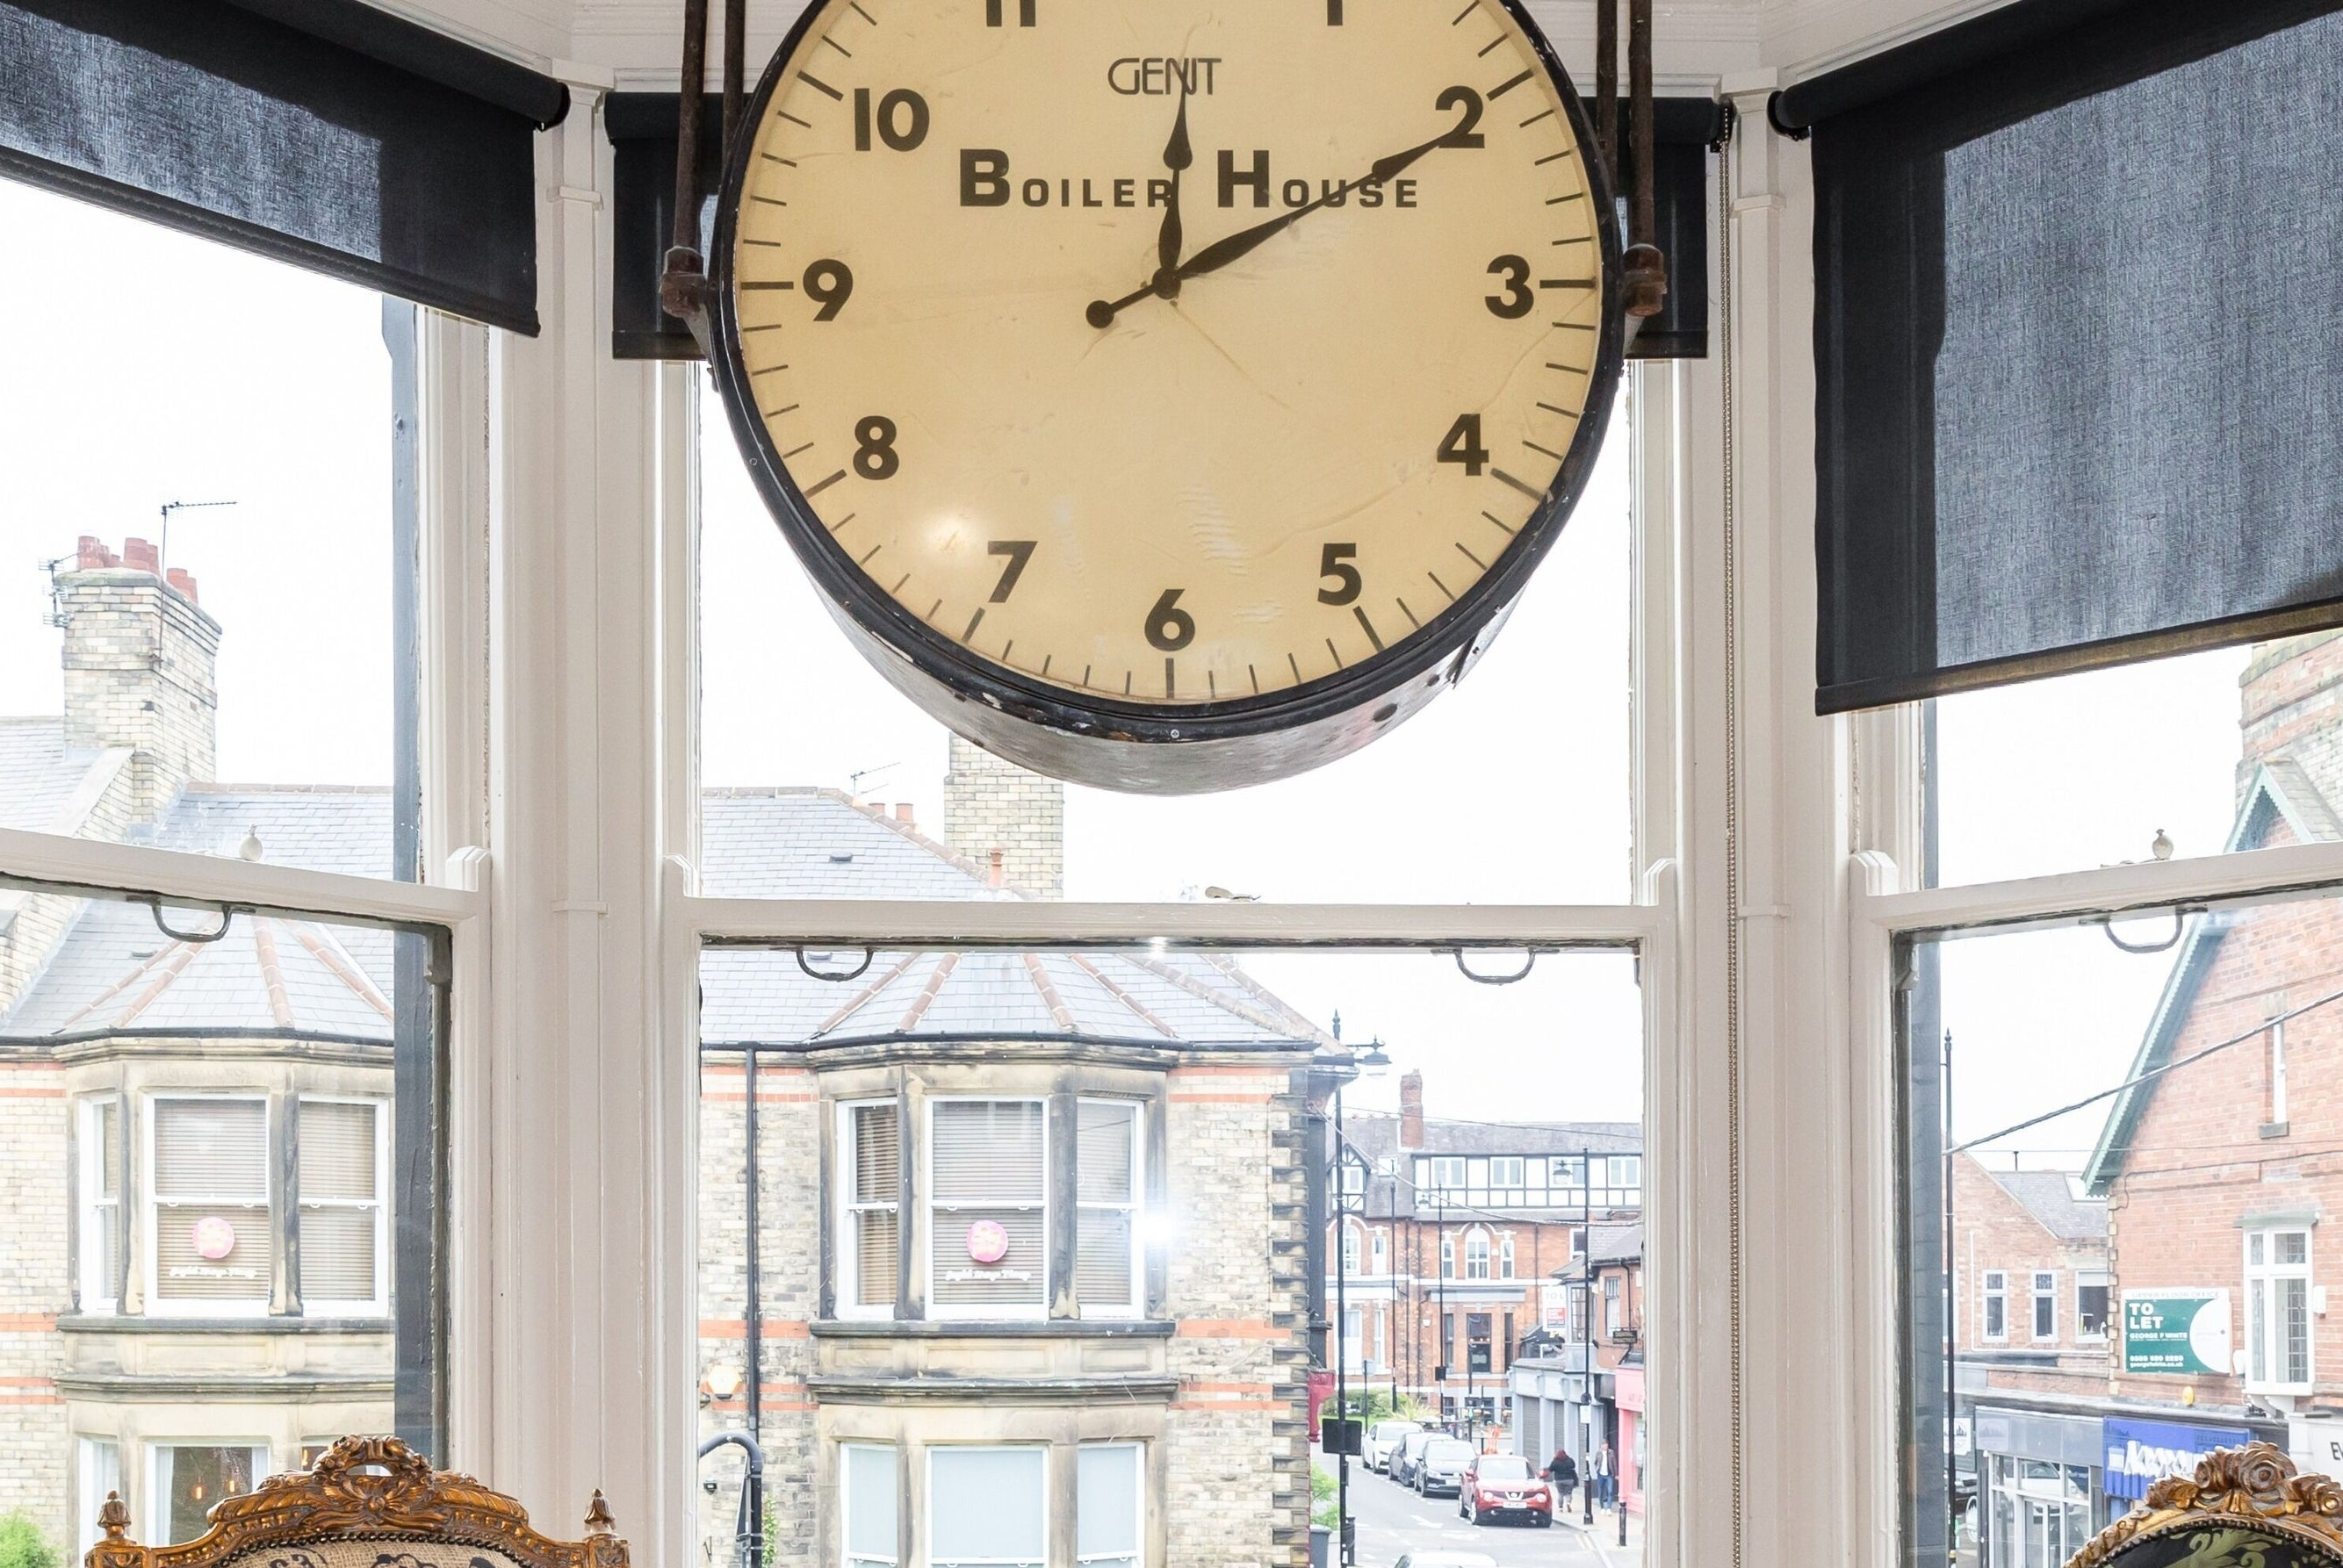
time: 12:10
